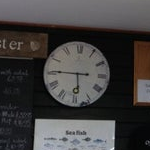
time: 5:45
